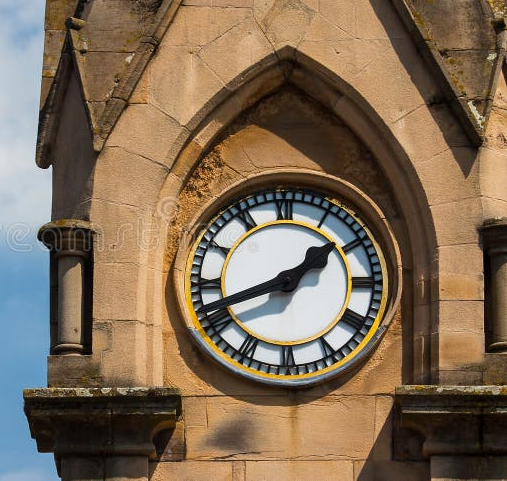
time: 1:41
